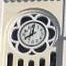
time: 8:01
